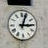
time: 3:03
